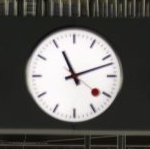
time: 11:11
